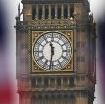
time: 11:31
